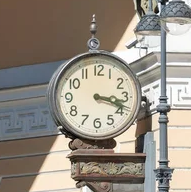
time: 3:18
